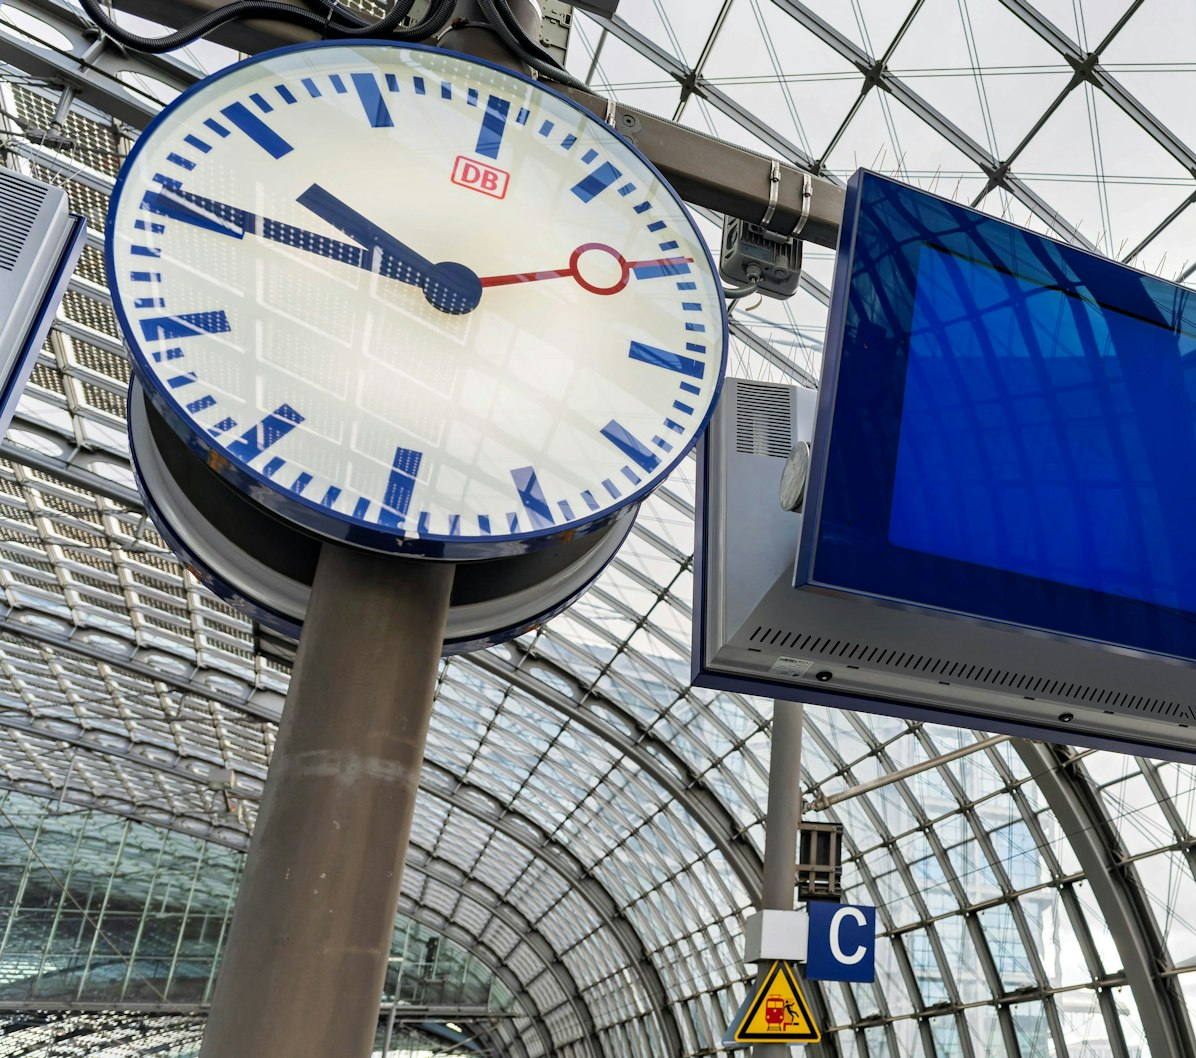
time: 9:45
